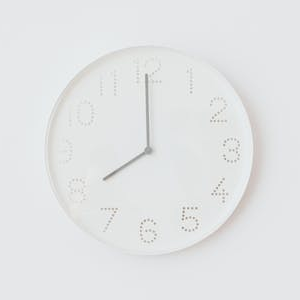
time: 7:59
